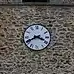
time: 3:40
